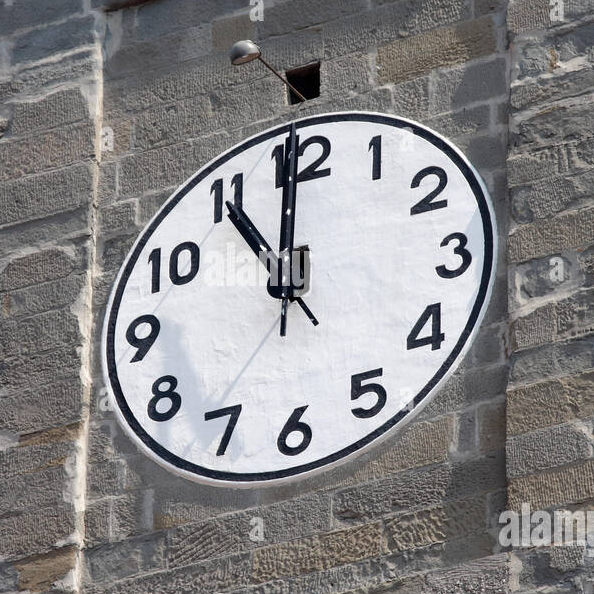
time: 10:59
